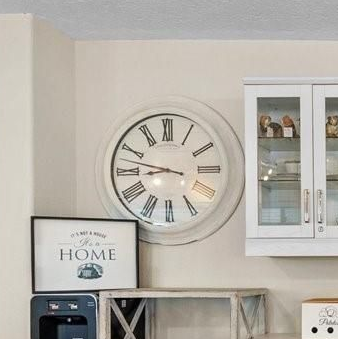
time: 8:47
